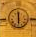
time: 5:59
